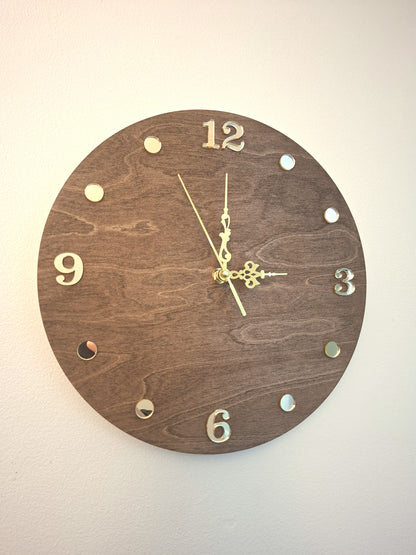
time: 3:00
